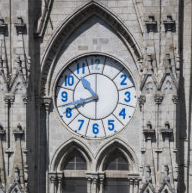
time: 10:41
